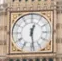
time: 12:28
